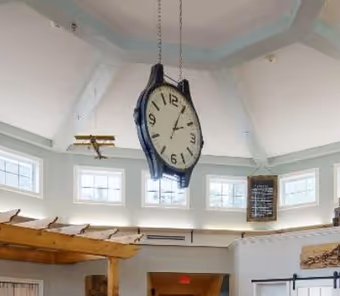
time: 2:04
